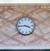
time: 3:45
